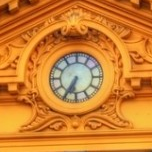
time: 6:34
